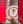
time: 12:28
